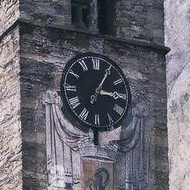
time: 3:05
